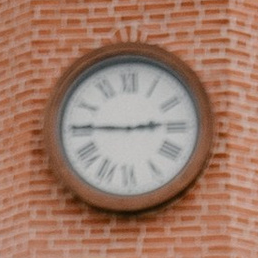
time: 2:45
